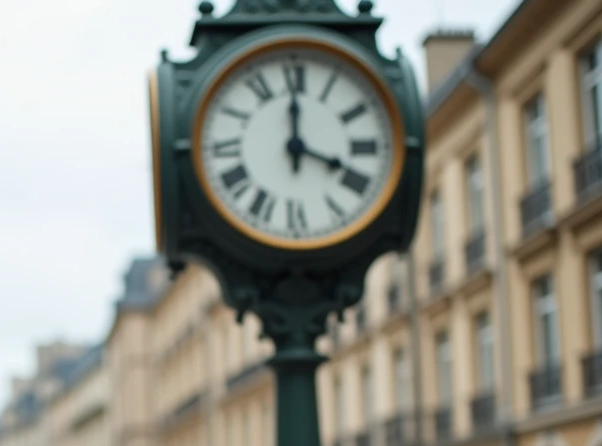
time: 4:00
